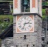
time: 2:33
